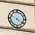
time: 3:48
